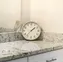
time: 1:36
